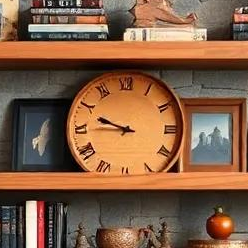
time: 9:45
